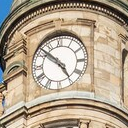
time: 4:51
